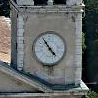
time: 4:54
